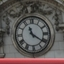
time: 11:21
